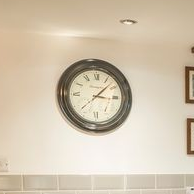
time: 3:07
